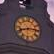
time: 8:14
